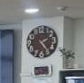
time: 2:24
